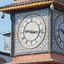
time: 9:16
